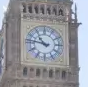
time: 10:47
